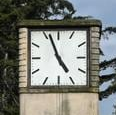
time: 4:56
